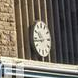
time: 10:43
